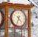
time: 4:33
